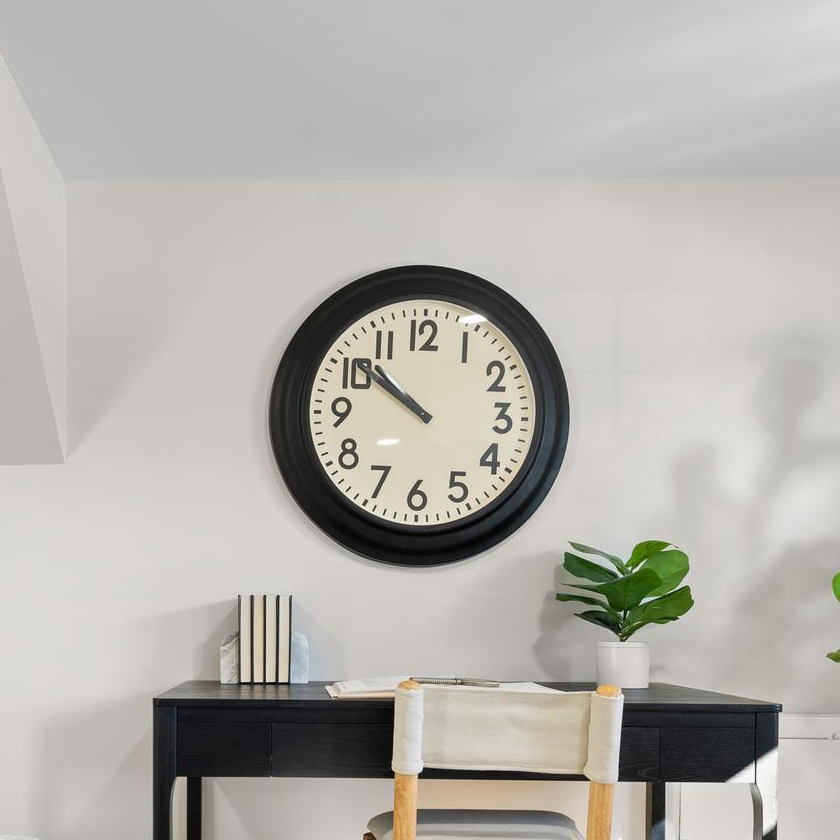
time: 9:51
